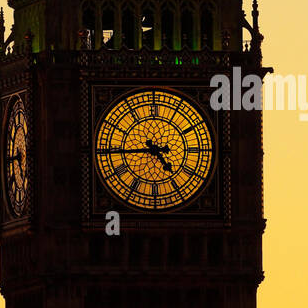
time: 4:44
